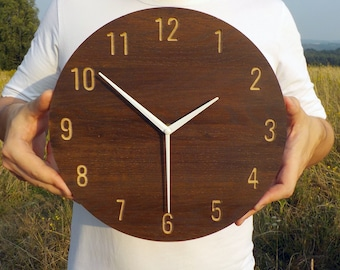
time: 1:51
